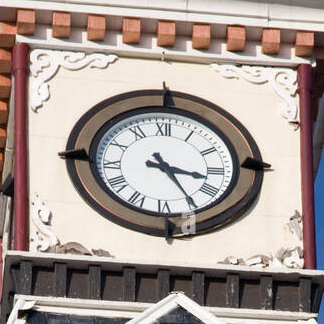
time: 3:24
